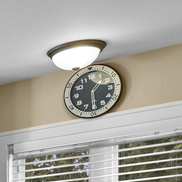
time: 1:29
